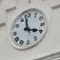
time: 3:58
